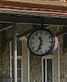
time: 11:34
